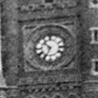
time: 10:34
